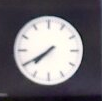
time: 7:39
